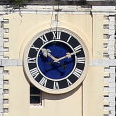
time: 10:11
